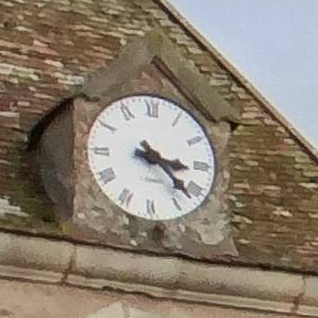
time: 3:22
